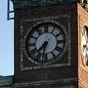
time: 7:32
